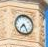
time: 7:24
